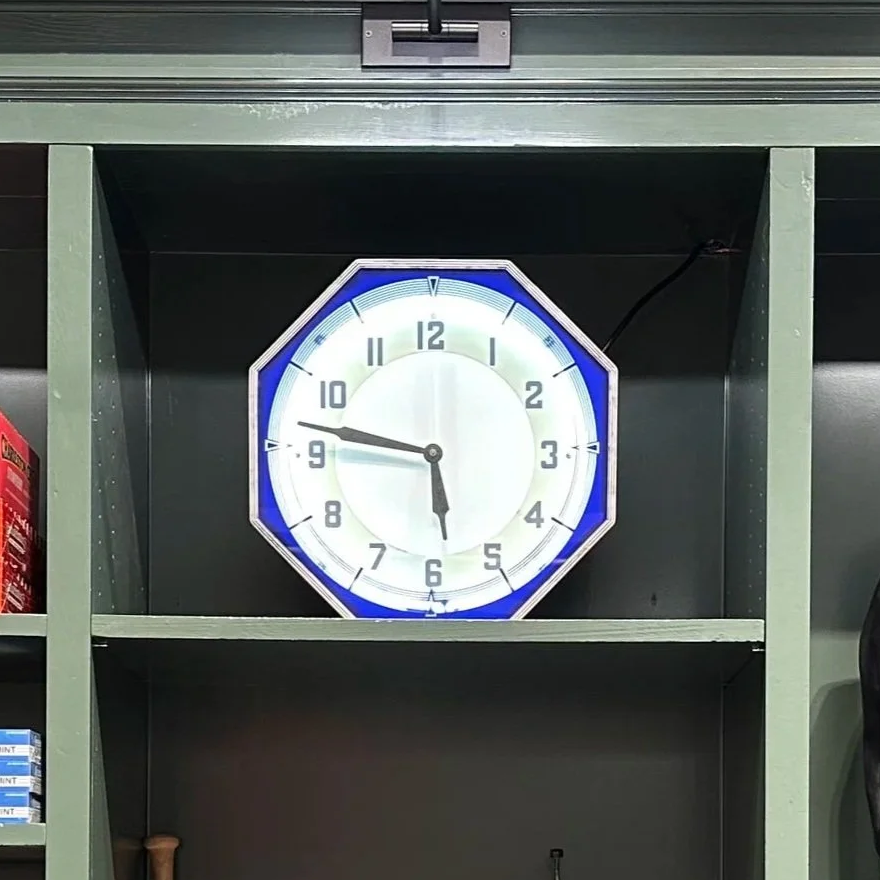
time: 5:46
